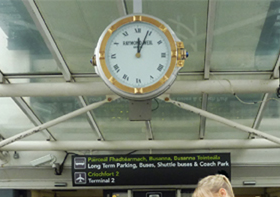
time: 12:03
